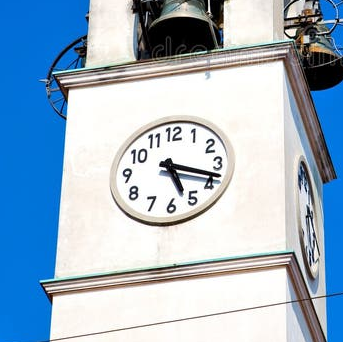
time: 5:18
